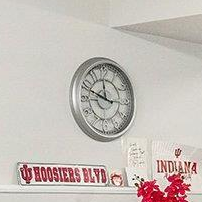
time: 11:48
